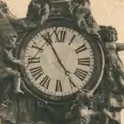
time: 4:55
